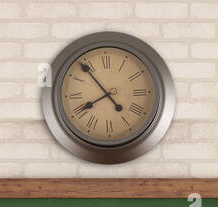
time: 7:53
